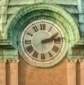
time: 2:13
